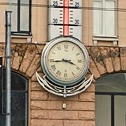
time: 3:43
